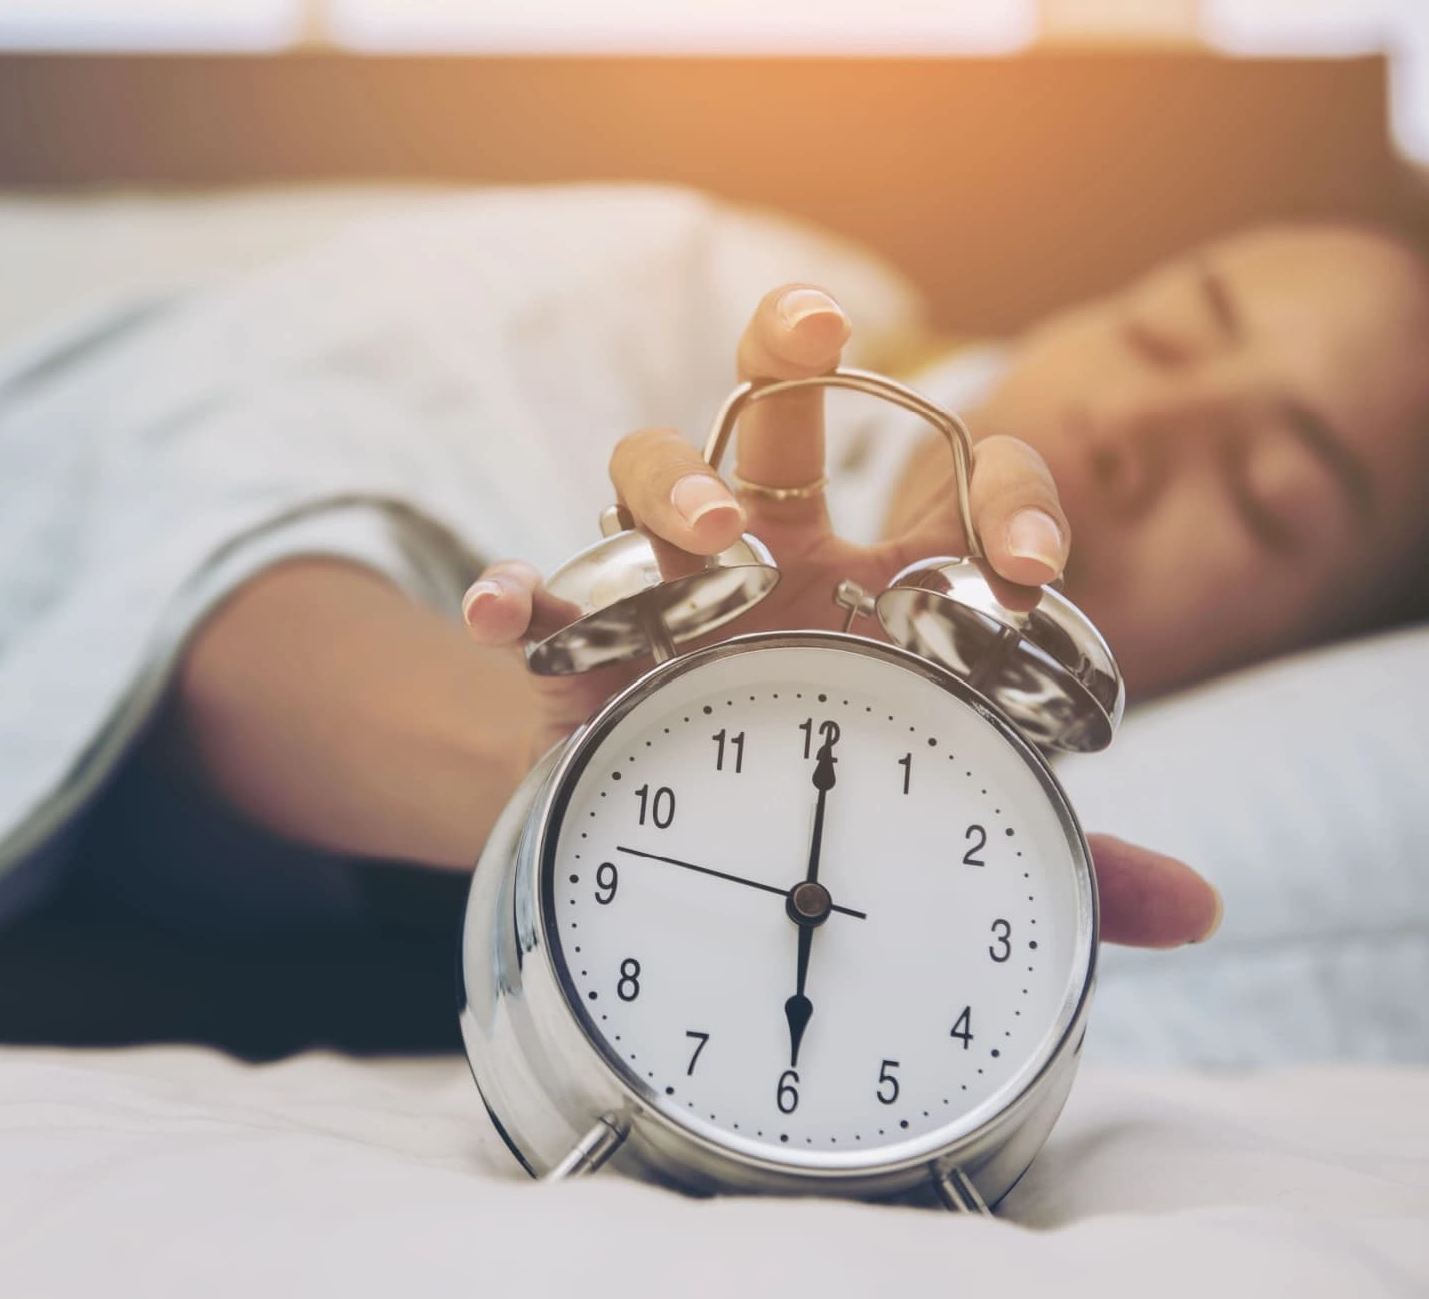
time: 6:00
